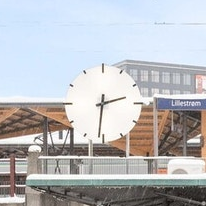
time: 2:31
